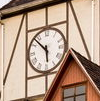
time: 5:52
